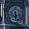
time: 5:30
